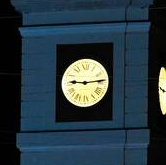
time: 9:13
